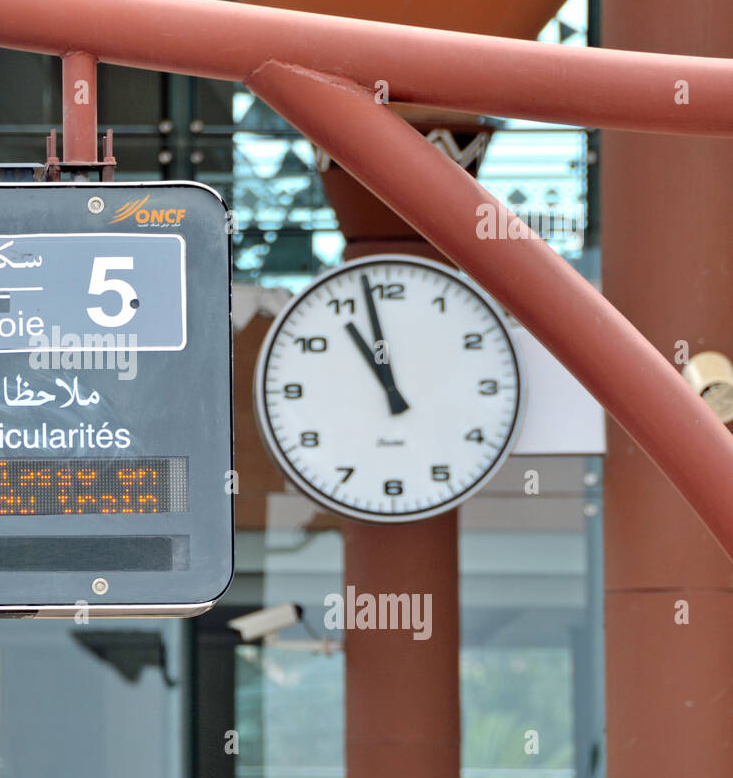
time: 10:57
